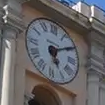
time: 5:09
